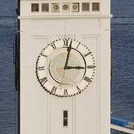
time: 3:02
